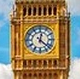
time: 12:22
